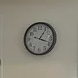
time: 1:18
